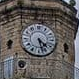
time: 4:27
